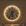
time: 5:36
